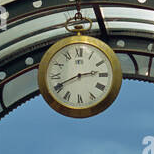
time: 2:40
